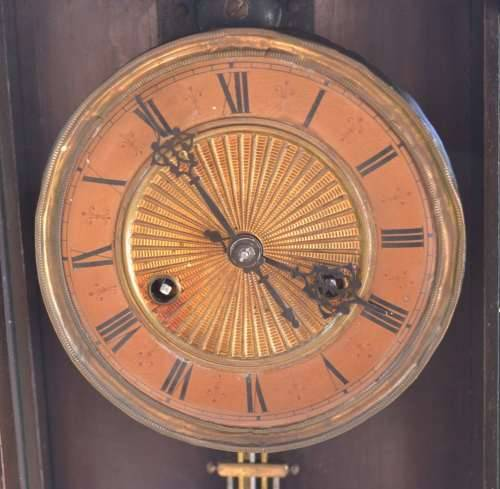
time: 3:54
